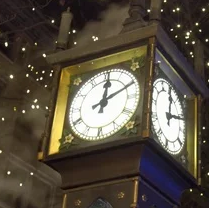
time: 12:10
